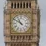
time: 10:50
